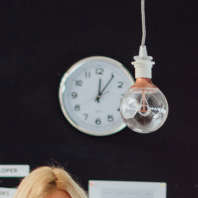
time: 12:05
